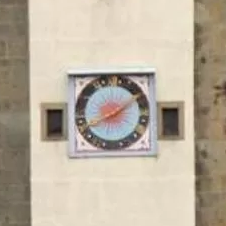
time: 8:09
